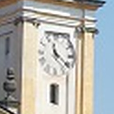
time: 11:21
